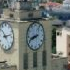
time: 8:41
